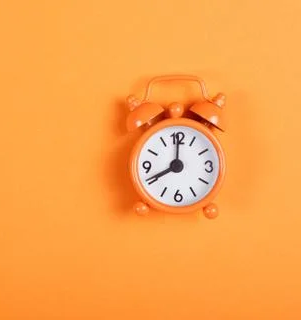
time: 8:00
